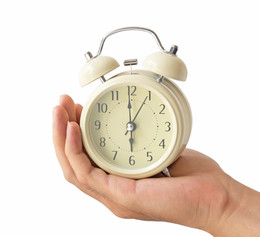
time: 5:59
